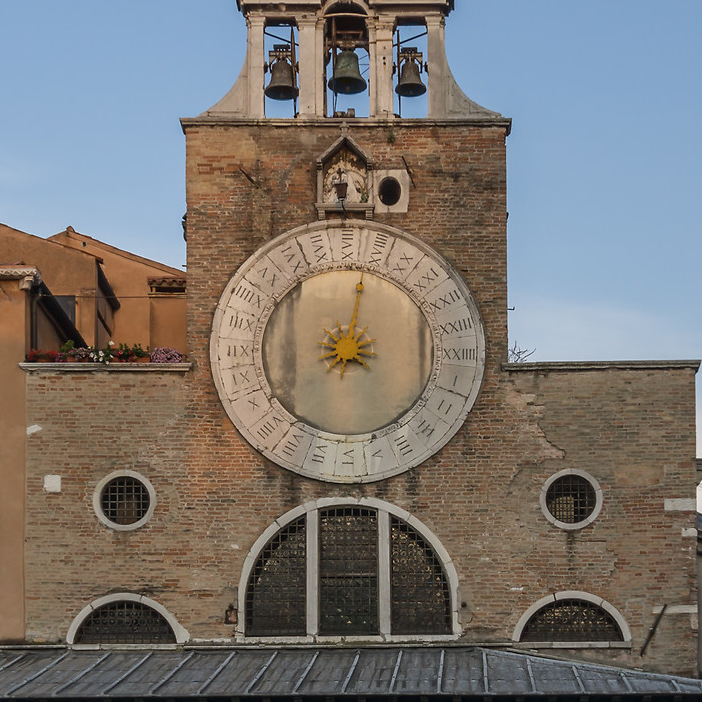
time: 9:01
